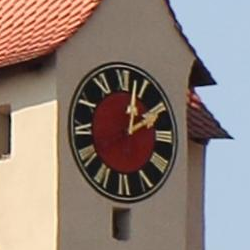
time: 2:02
